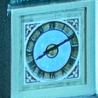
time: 8:11
